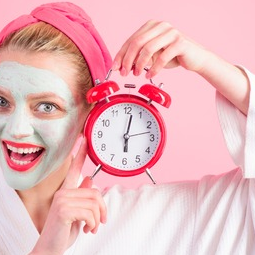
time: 6:02
